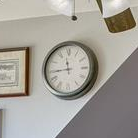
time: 11:44
